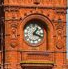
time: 1:18
